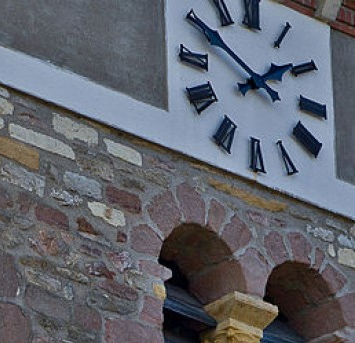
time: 1:50
